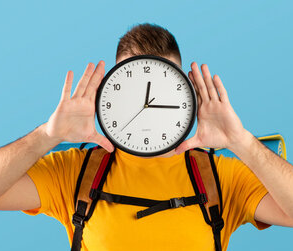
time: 12:15
